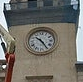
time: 10:24
